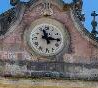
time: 11:15
